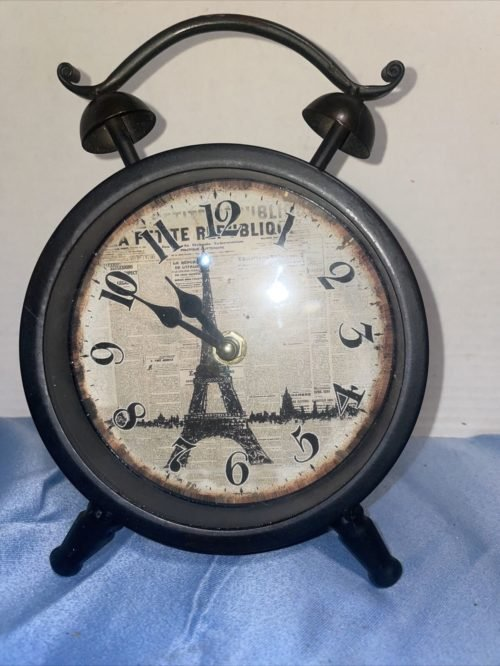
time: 10:34
